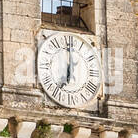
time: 7:00
